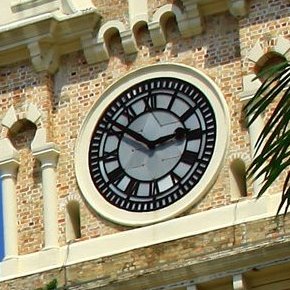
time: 2:50
